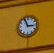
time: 2:56
